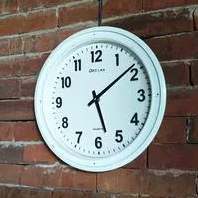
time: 5:08
